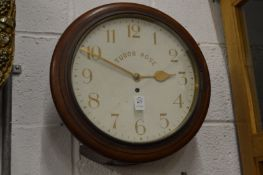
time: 2:49
